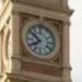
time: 7:51
